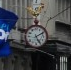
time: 5:10
